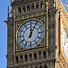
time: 12:05
